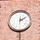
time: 2:09
